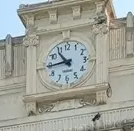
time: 10:44
